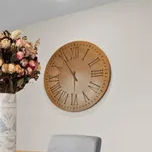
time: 5:54
